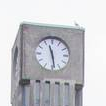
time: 11:28
